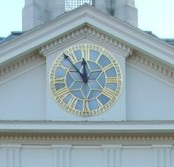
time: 11:53
